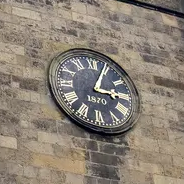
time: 3:04
